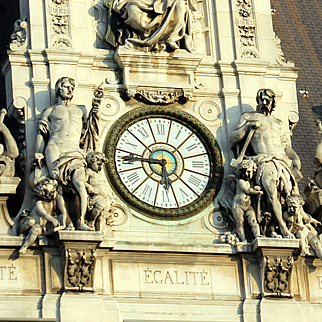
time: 5:45
